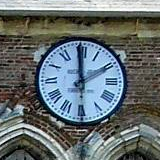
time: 1:59
